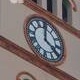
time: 4:00
